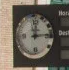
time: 12:14
